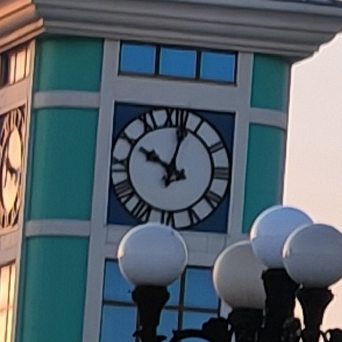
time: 10:02
